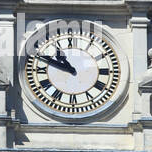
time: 10:48
